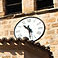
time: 10:30
